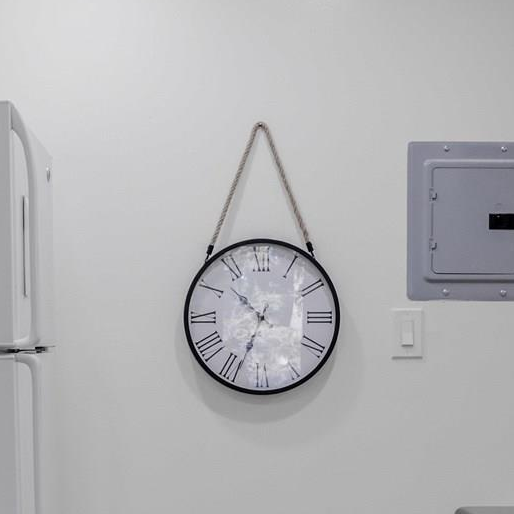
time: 10:33
